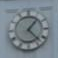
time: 1:22
